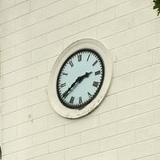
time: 2:40
